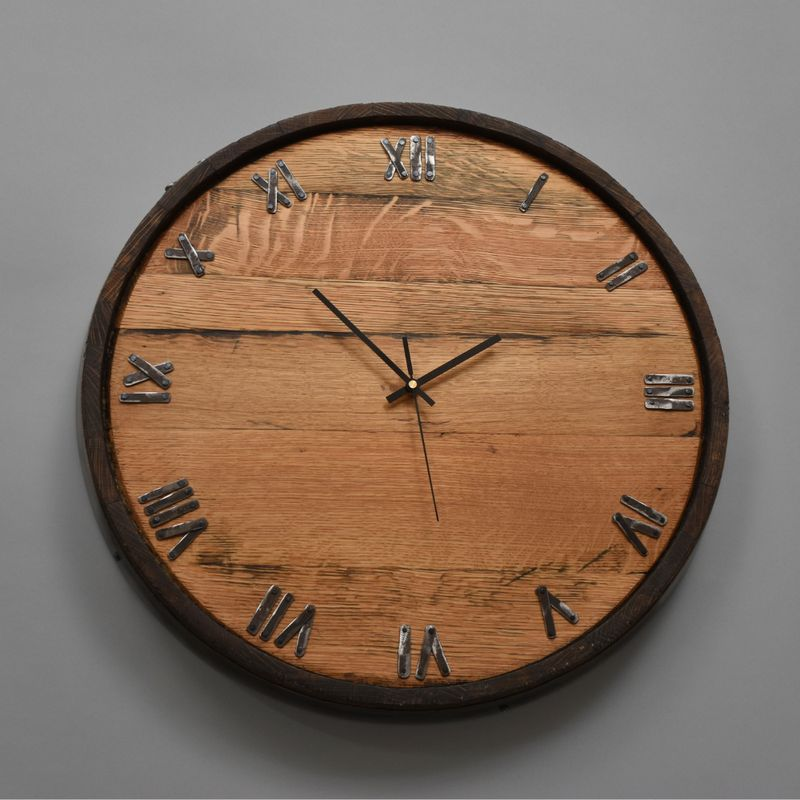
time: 1:52
